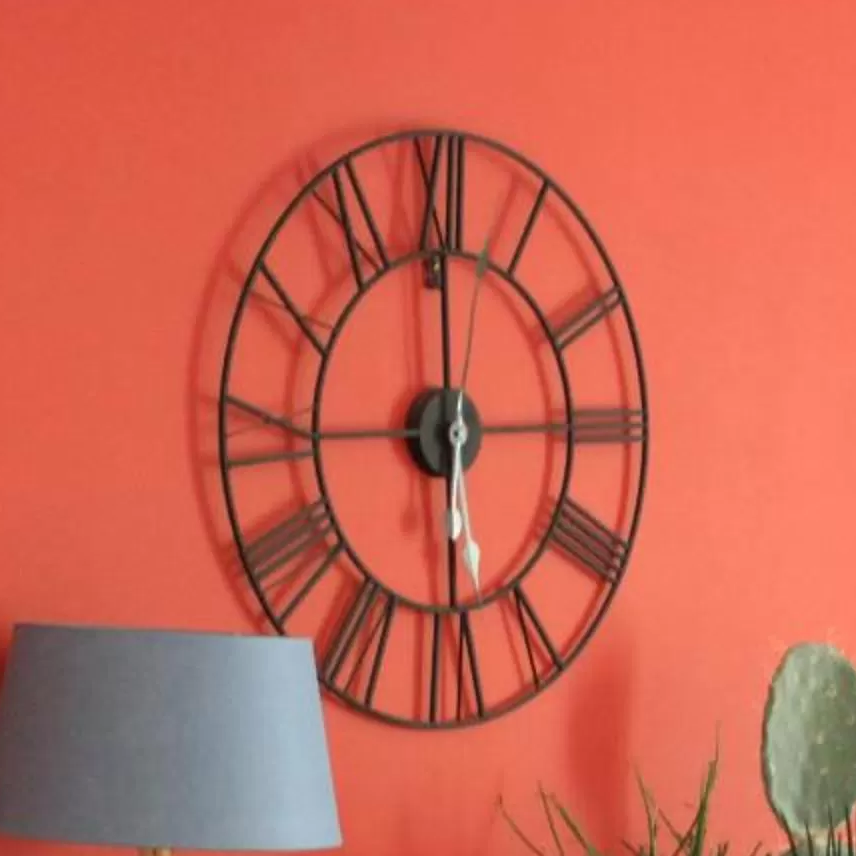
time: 5:59
